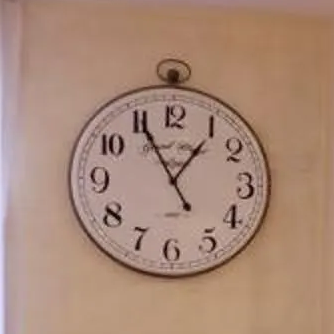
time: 12:55
